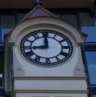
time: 8:59
